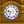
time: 9:33
